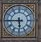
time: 5:45
